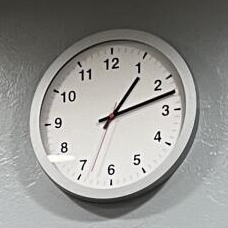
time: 1:12
